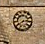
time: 2:39
